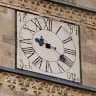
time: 9:20
